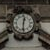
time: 12:30
